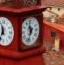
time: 11:33
